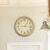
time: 1:16
